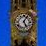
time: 5:05
